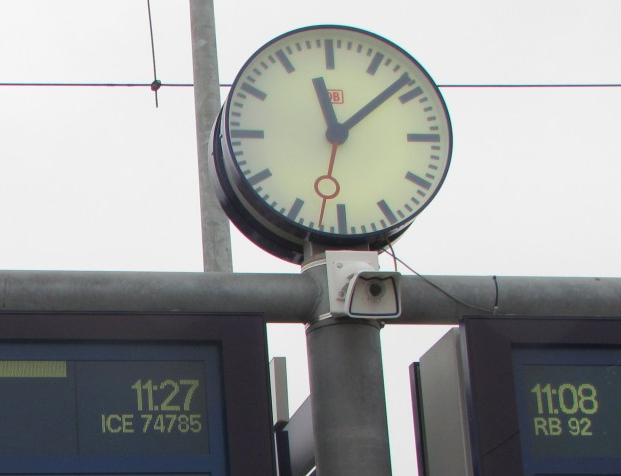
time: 11:08
